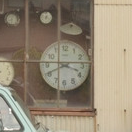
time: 3:40
